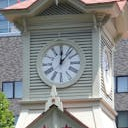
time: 12:06
